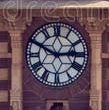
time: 2:49
